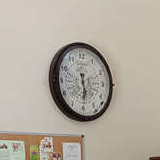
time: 5:29
